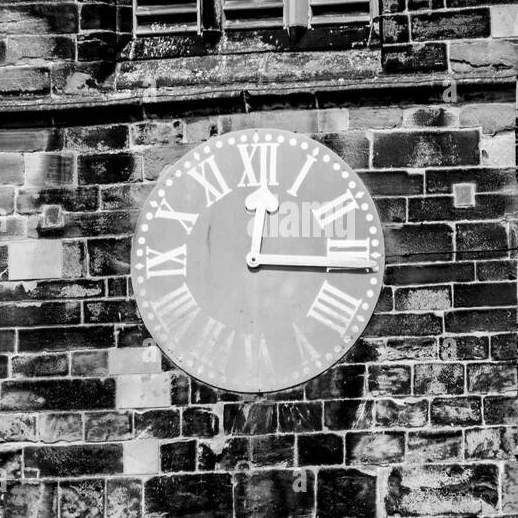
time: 12:15
